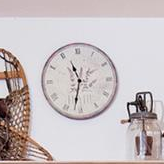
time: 11:32
